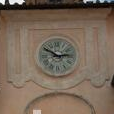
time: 2:50
